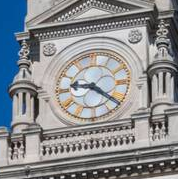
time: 9:21
